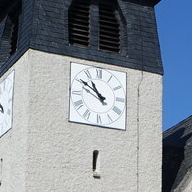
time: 10:50
